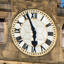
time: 5:56
